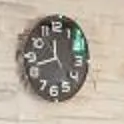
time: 11:42
